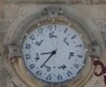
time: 8:35
